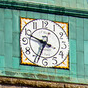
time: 6:48
